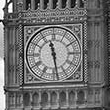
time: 11:28
